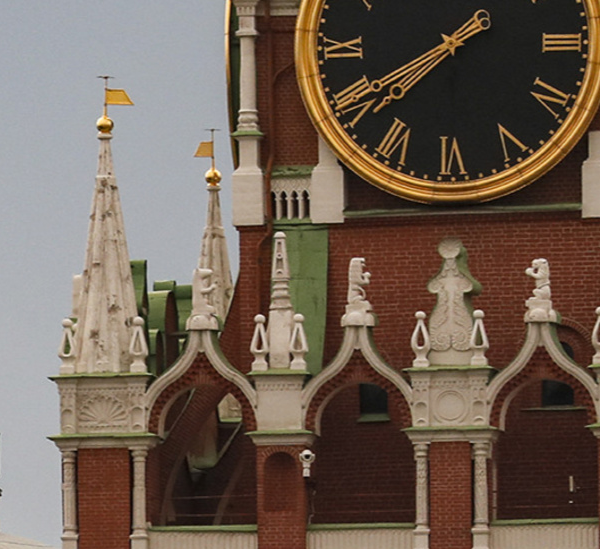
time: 7:40
